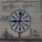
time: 9:01
